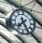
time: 7:25
